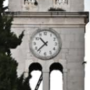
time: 10:37
